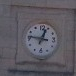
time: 12:46
